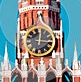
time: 12:16
